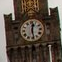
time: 12:28
